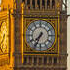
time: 7:34
